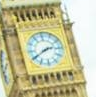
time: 2:40
